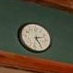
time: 2:24
